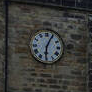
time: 6:04
